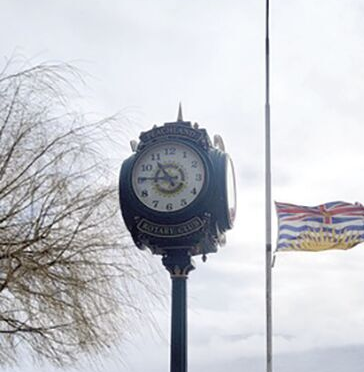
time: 10:45
